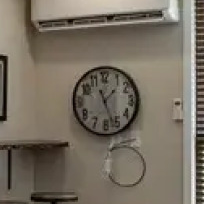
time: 1:26
